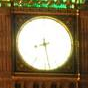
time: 8:28
